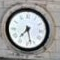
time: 7:27
